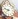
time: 9:38
